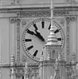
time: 10:50
